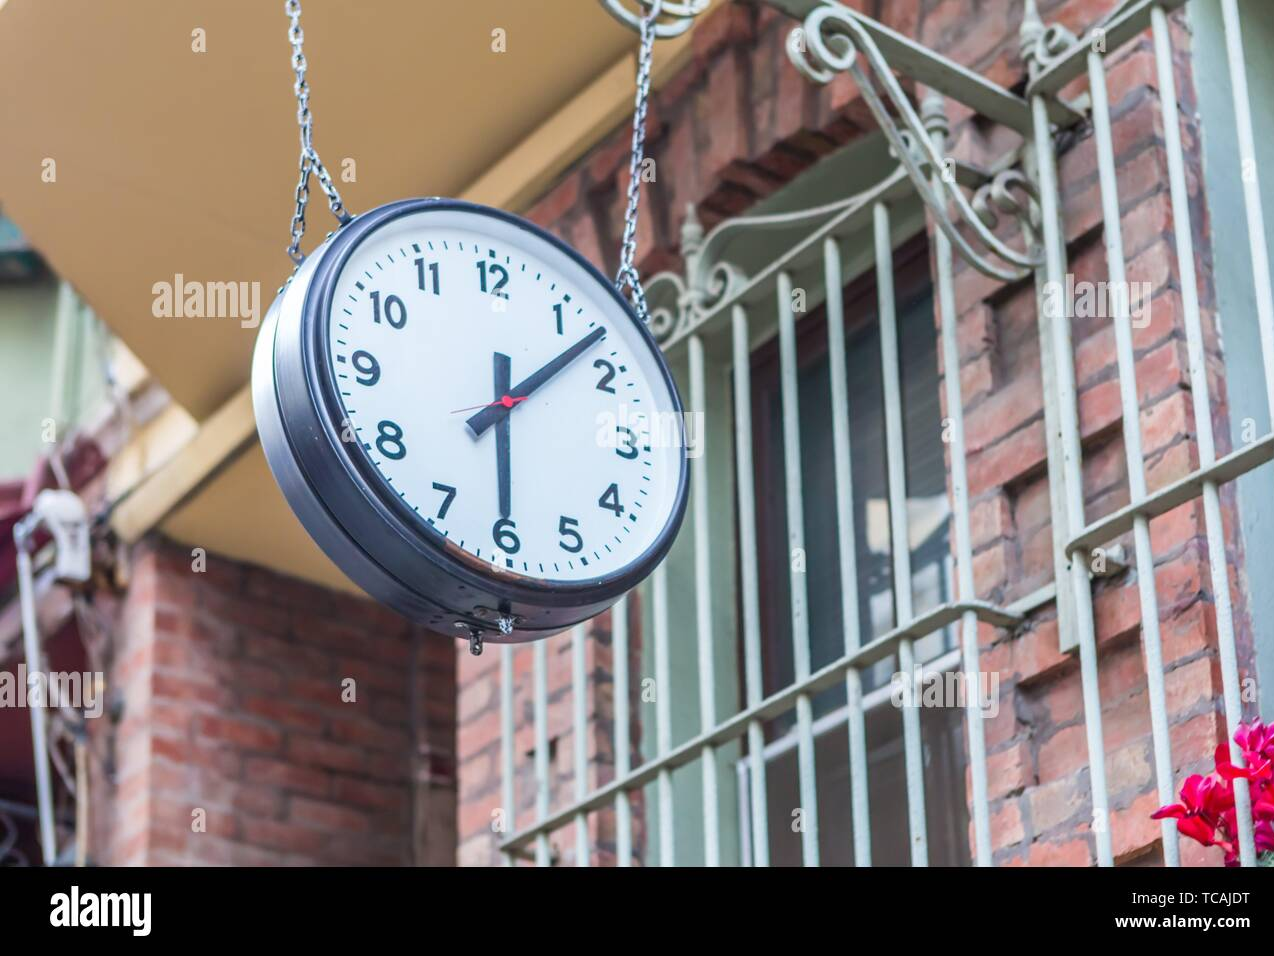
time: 6:07
